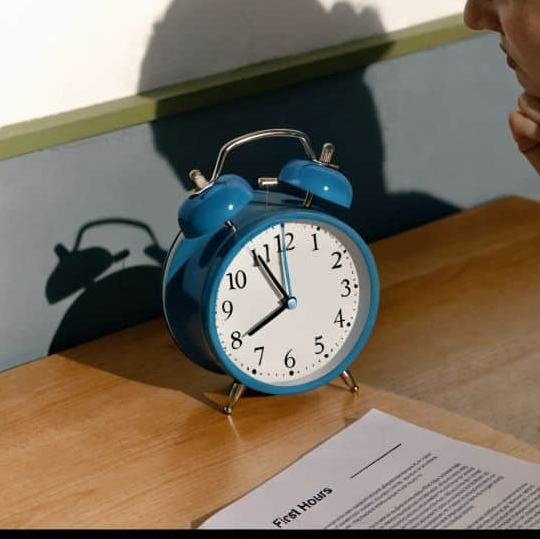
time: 7:54
